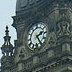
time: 2:24
